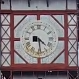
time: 4:28
